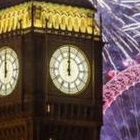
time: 12:00
